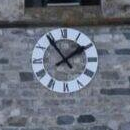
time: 1:54
